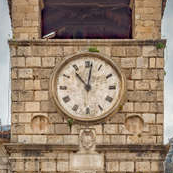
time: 11:01
